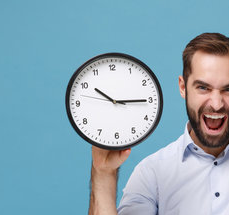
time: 10:14
